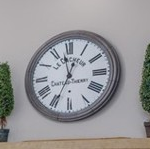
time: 11:34
